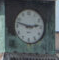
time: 2:47
